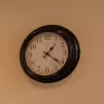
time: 1:21
